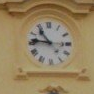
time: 10:46
